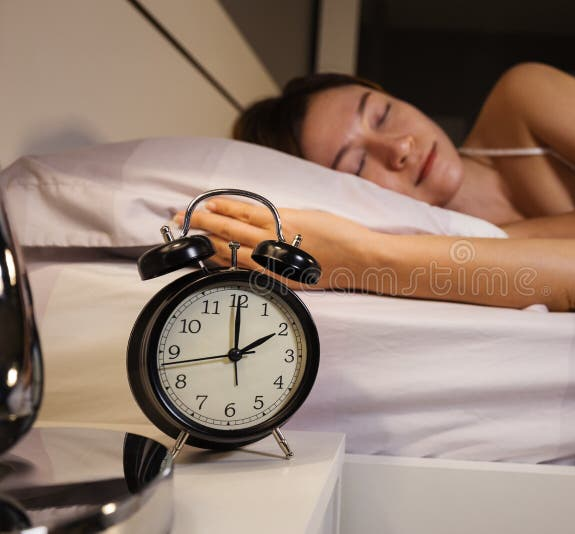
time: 2:00
